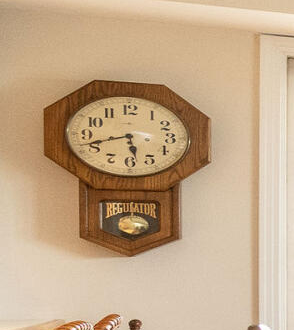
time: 5:41
